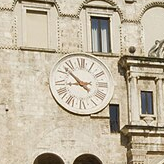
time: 8:52
